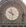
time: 9:57
